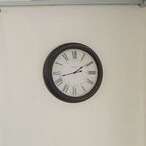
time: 1:42
